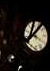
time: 12:07
